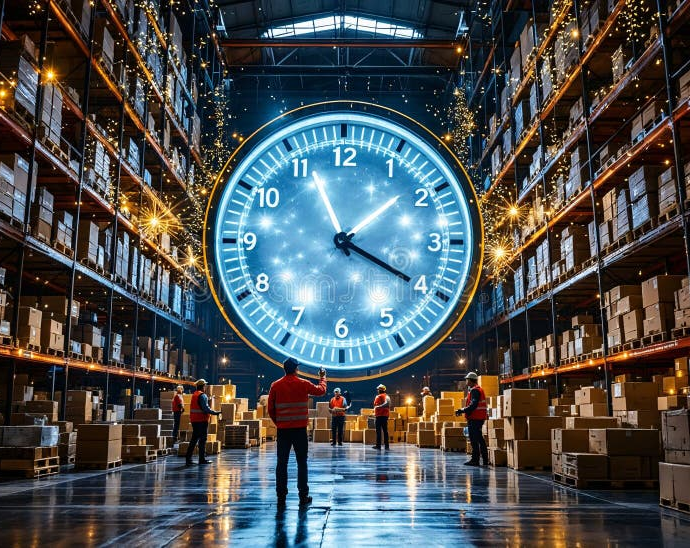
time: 11:19
